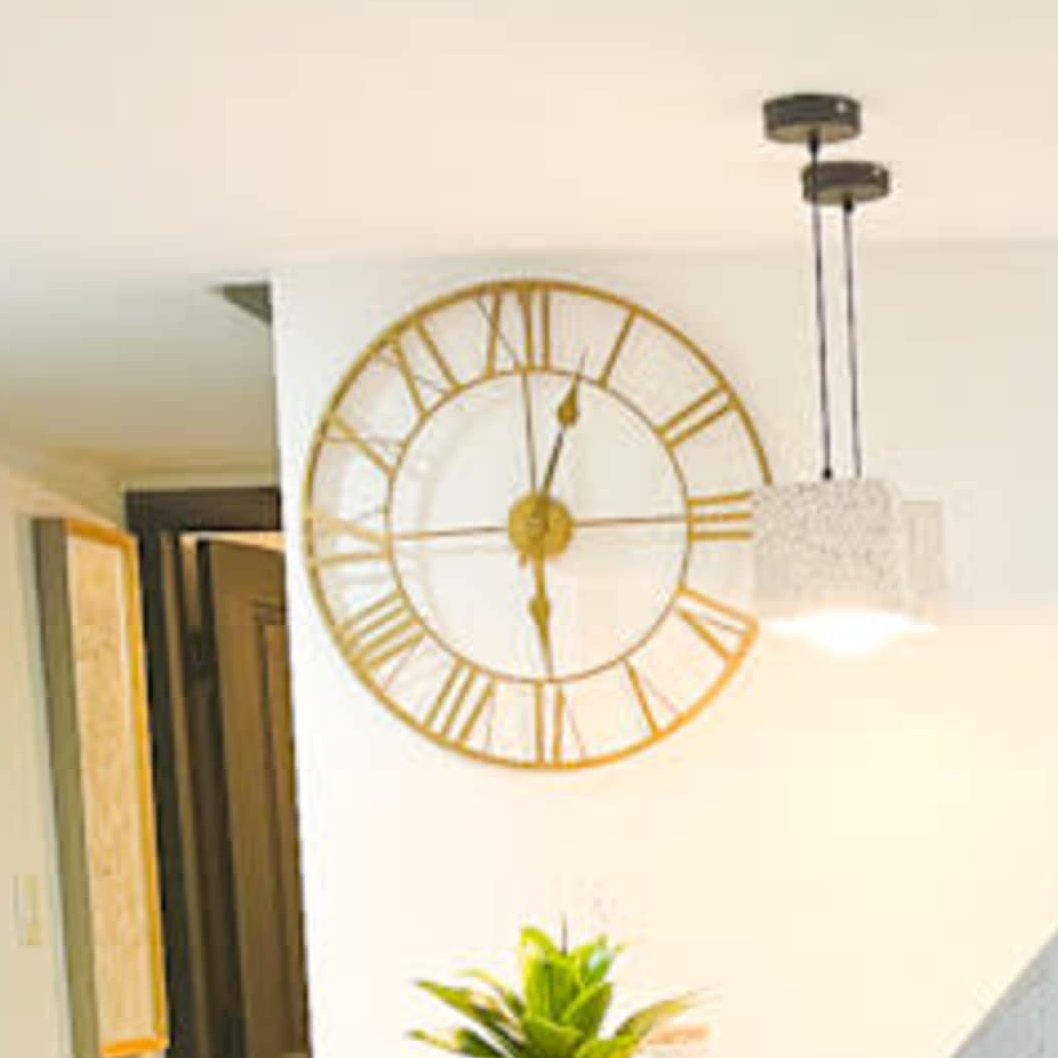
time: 6:03
